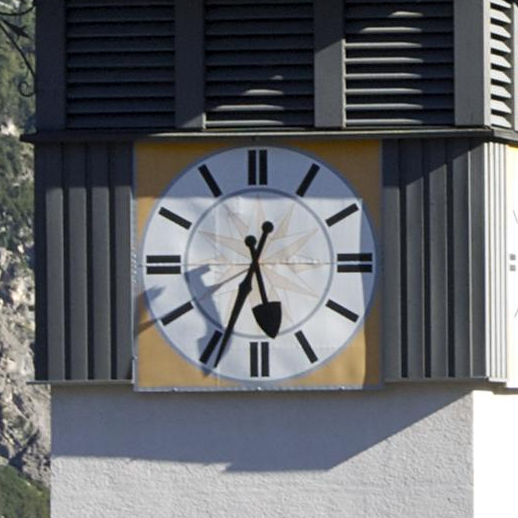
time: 5:33
